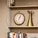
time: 7:04
